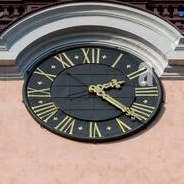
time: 2:22
